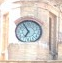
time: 6:55
